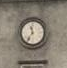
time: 11:36
